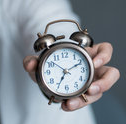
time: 7:10
